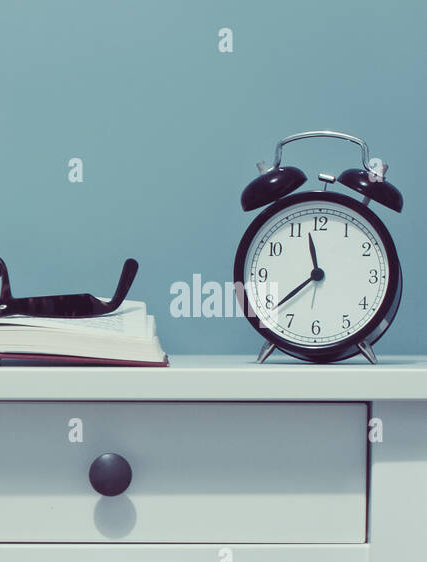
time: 11:38
